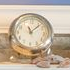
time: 11:07
